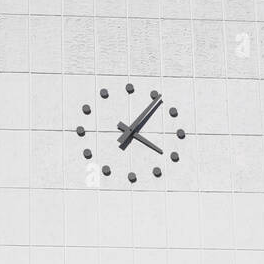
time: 4:07
